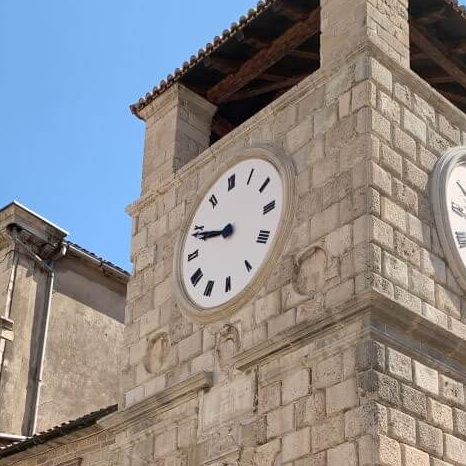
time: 9:48
